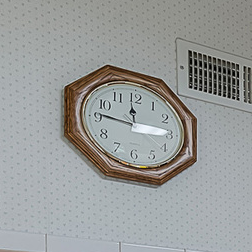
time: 11:46
